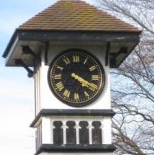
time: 4:19
